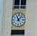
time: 11:07
